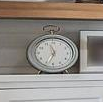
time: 11:34
